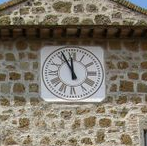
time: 11:55
